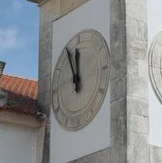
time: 11:55
